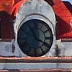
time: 11:19
